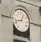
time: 12:42
